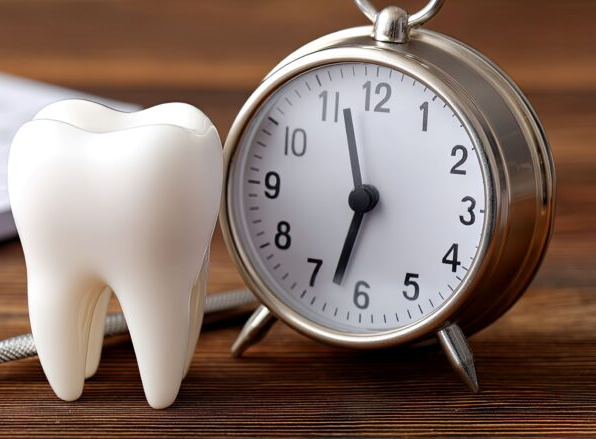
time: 11:32
